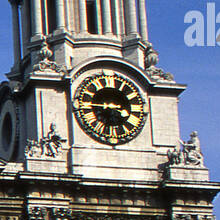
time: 3:45
